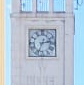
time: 2:33
